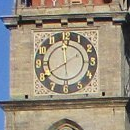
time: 7:59
